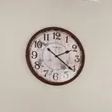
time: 2:21
